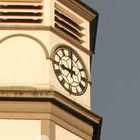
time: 9:00
